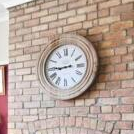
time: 8:44
